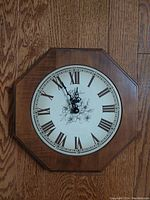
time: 11:55
